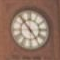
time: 4:53
